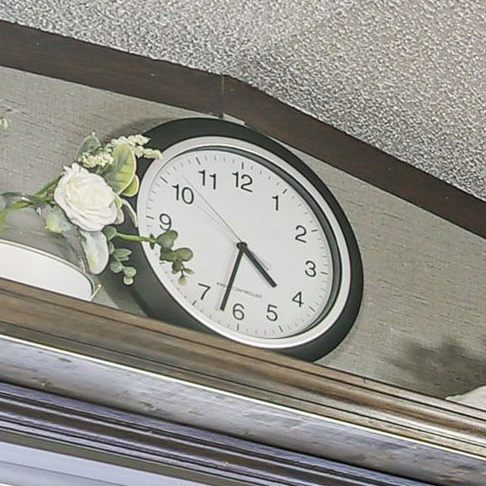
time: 4:32
